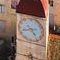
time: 8:24
